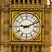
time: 9:11
